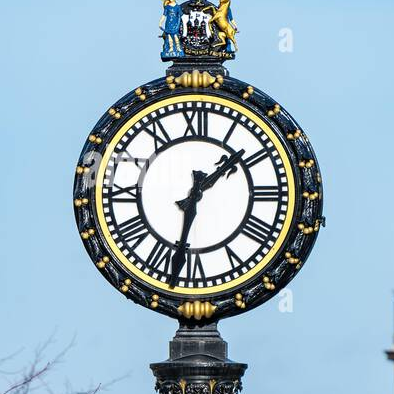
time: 1:32
